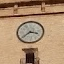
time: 3:38
